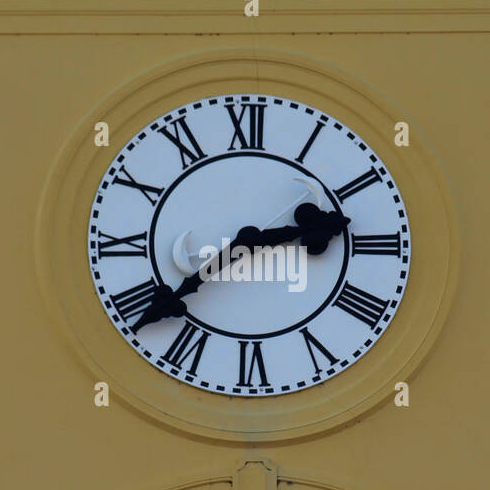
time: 2:38
